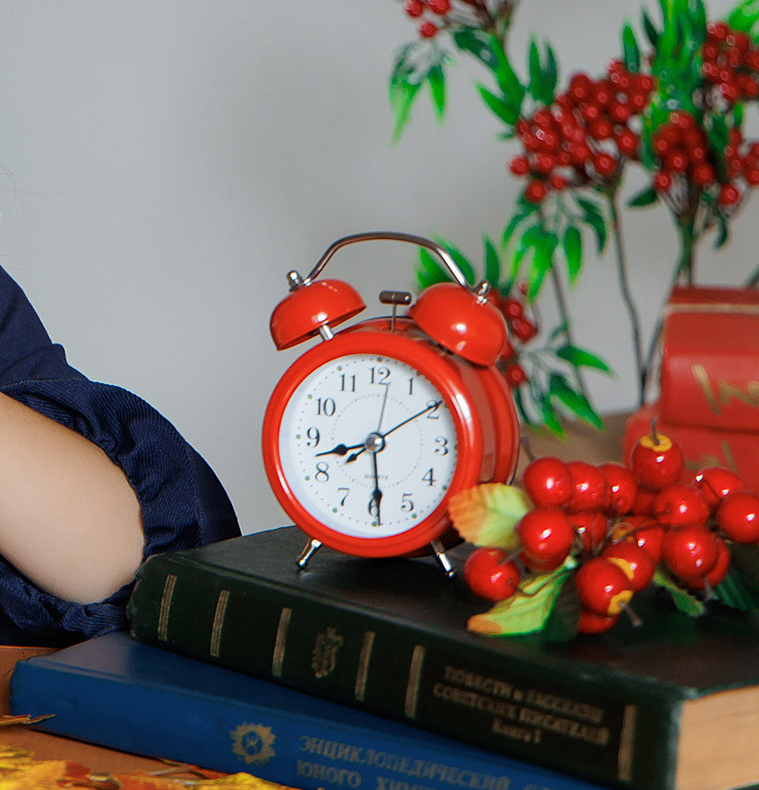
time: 8:29
